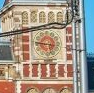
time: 5:46
